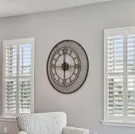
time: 5:59
